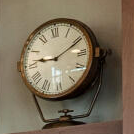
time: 9:10
